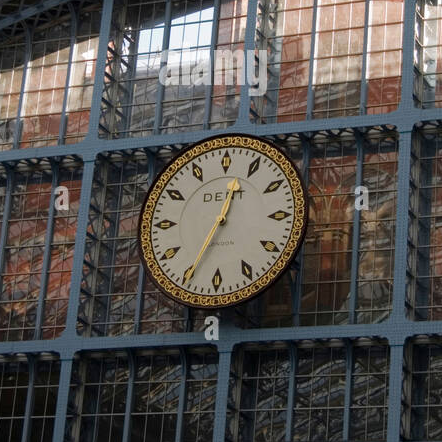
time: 12:34
